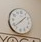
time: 1:38
